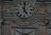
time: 5:01
